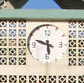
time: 5:48
